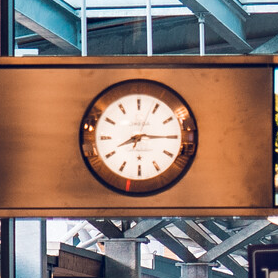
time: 8:15
